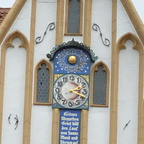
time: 2:18
